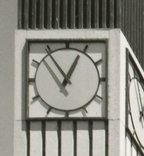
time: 12:54
